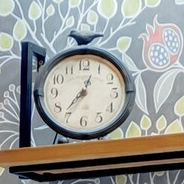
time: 12:36
